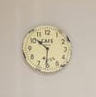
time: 10:31
